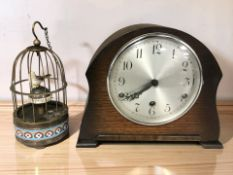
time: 7:39
